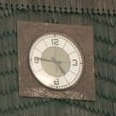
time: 4:45
